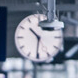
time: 10:30
